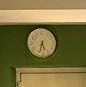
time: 5:33
